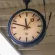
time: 11:47
